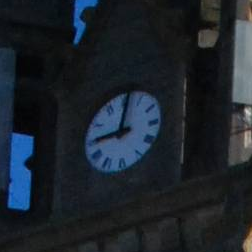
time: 9:01
